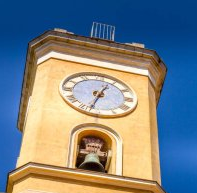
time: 12:32
